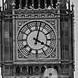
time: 4:02
